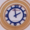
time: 1:58
